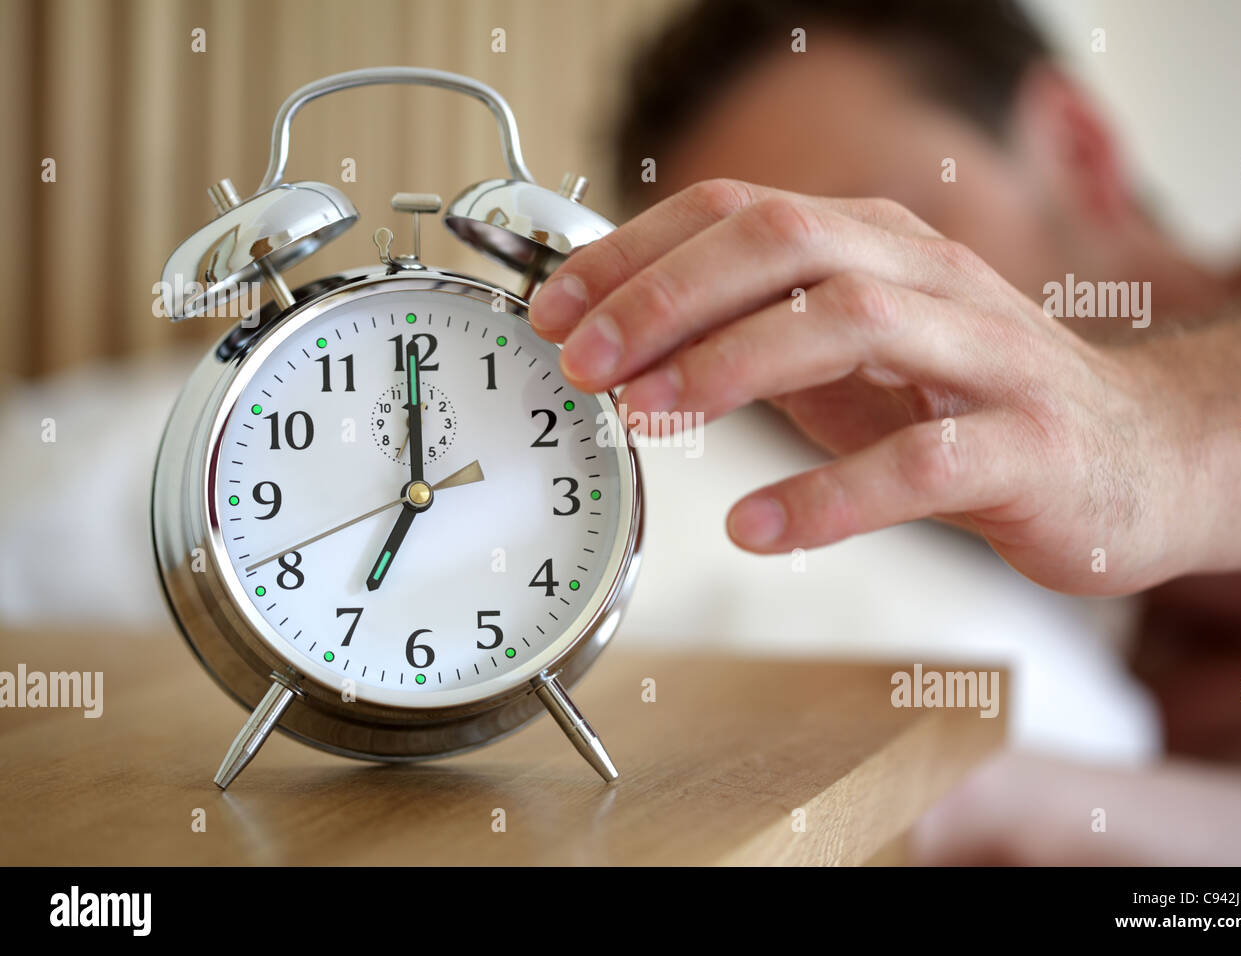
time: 7:00
